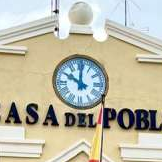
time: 10:00
